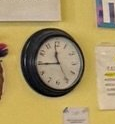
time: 11:44
